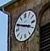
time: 3:48
